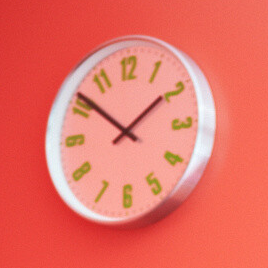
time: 1:51
